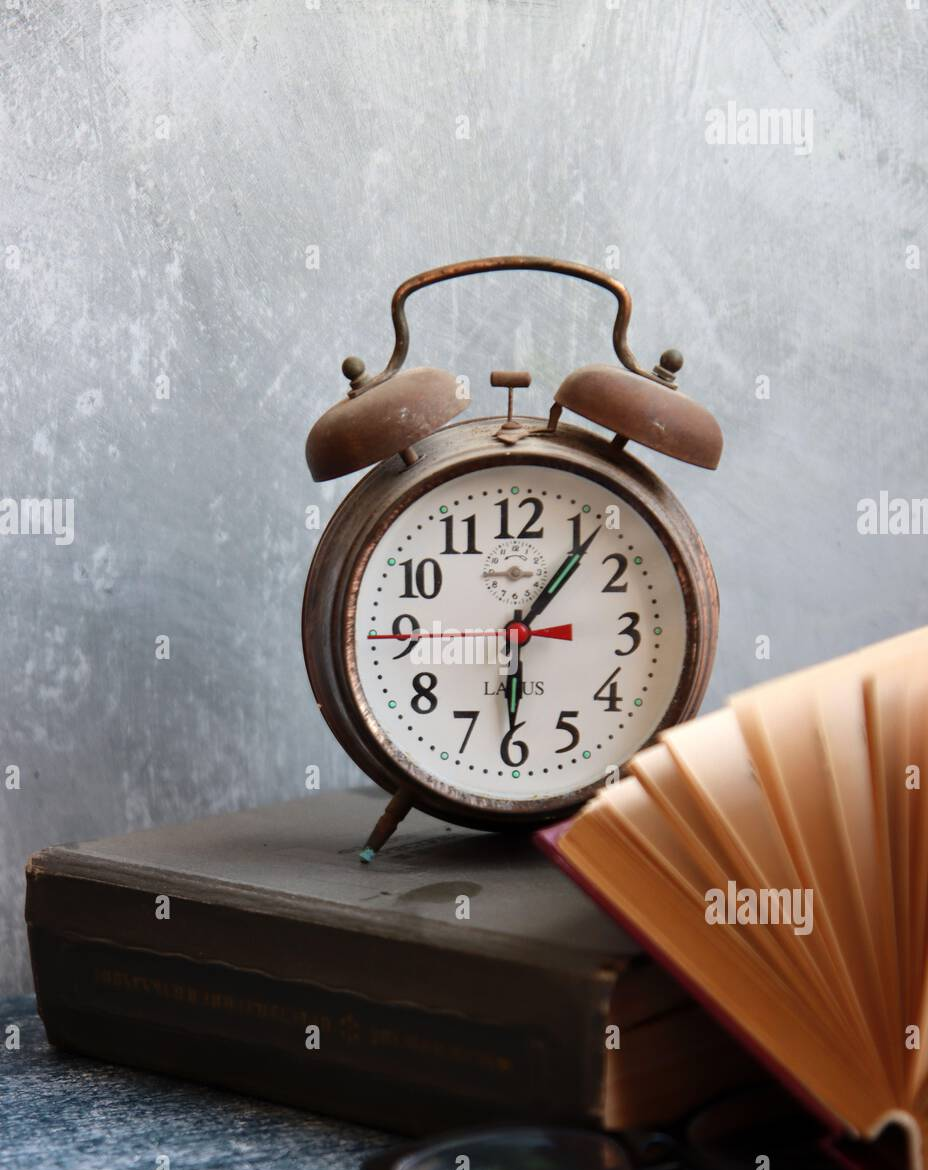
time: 6:06
